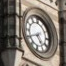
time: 4:40
